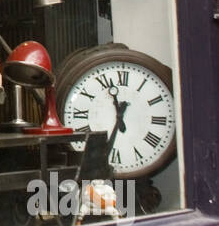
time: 11:32
